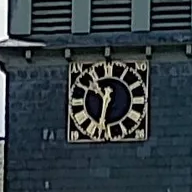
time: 10:32
